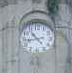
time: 10:43
